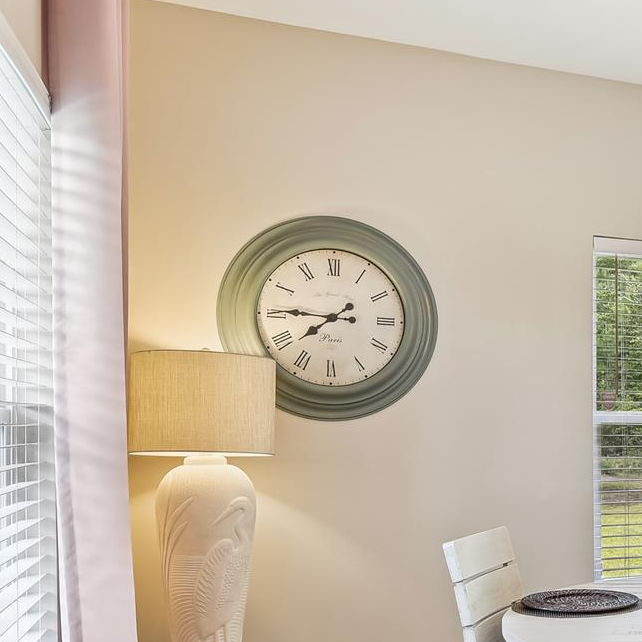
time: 7:45
